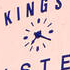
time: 7:19
